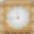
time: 11:43
